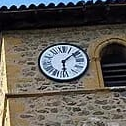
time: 6:08
